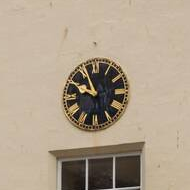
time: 9:55
